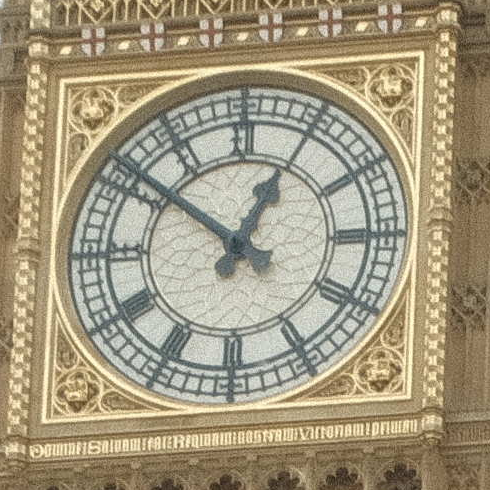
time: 12:51
